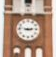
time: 2:46
